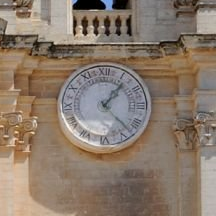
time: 1:22
